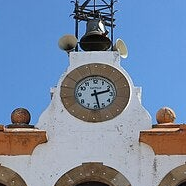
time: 2:27
